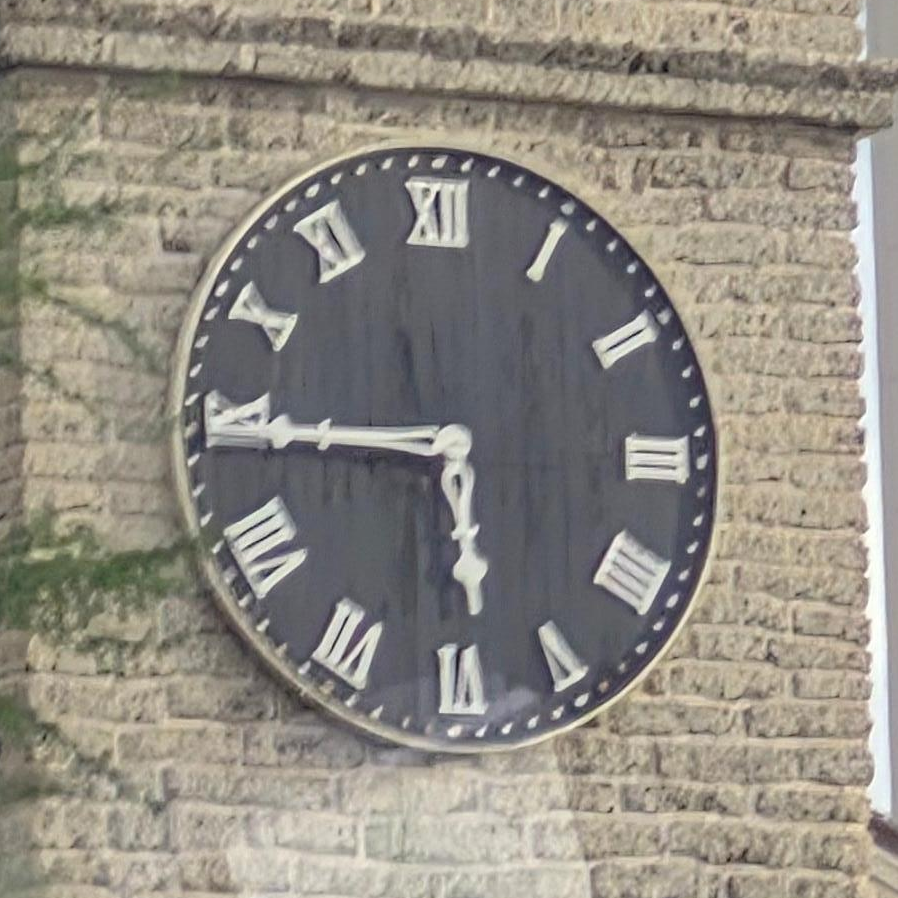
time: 5:44
